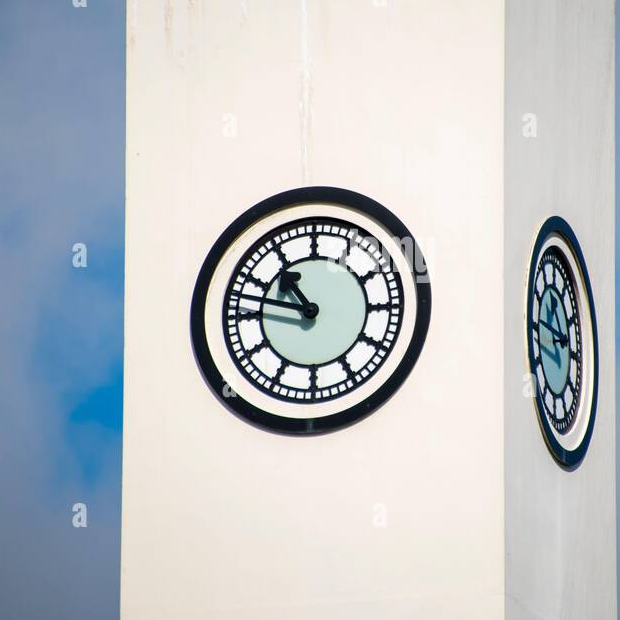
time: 10:47
